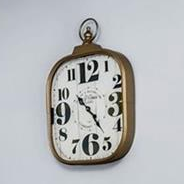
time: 10:23
